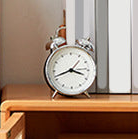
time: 3:41
